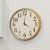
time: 4:00
